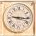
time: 9:15
